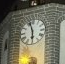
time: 5:57
